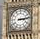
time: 3:13
